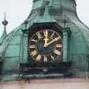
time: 12:09
